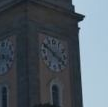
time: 3:50
